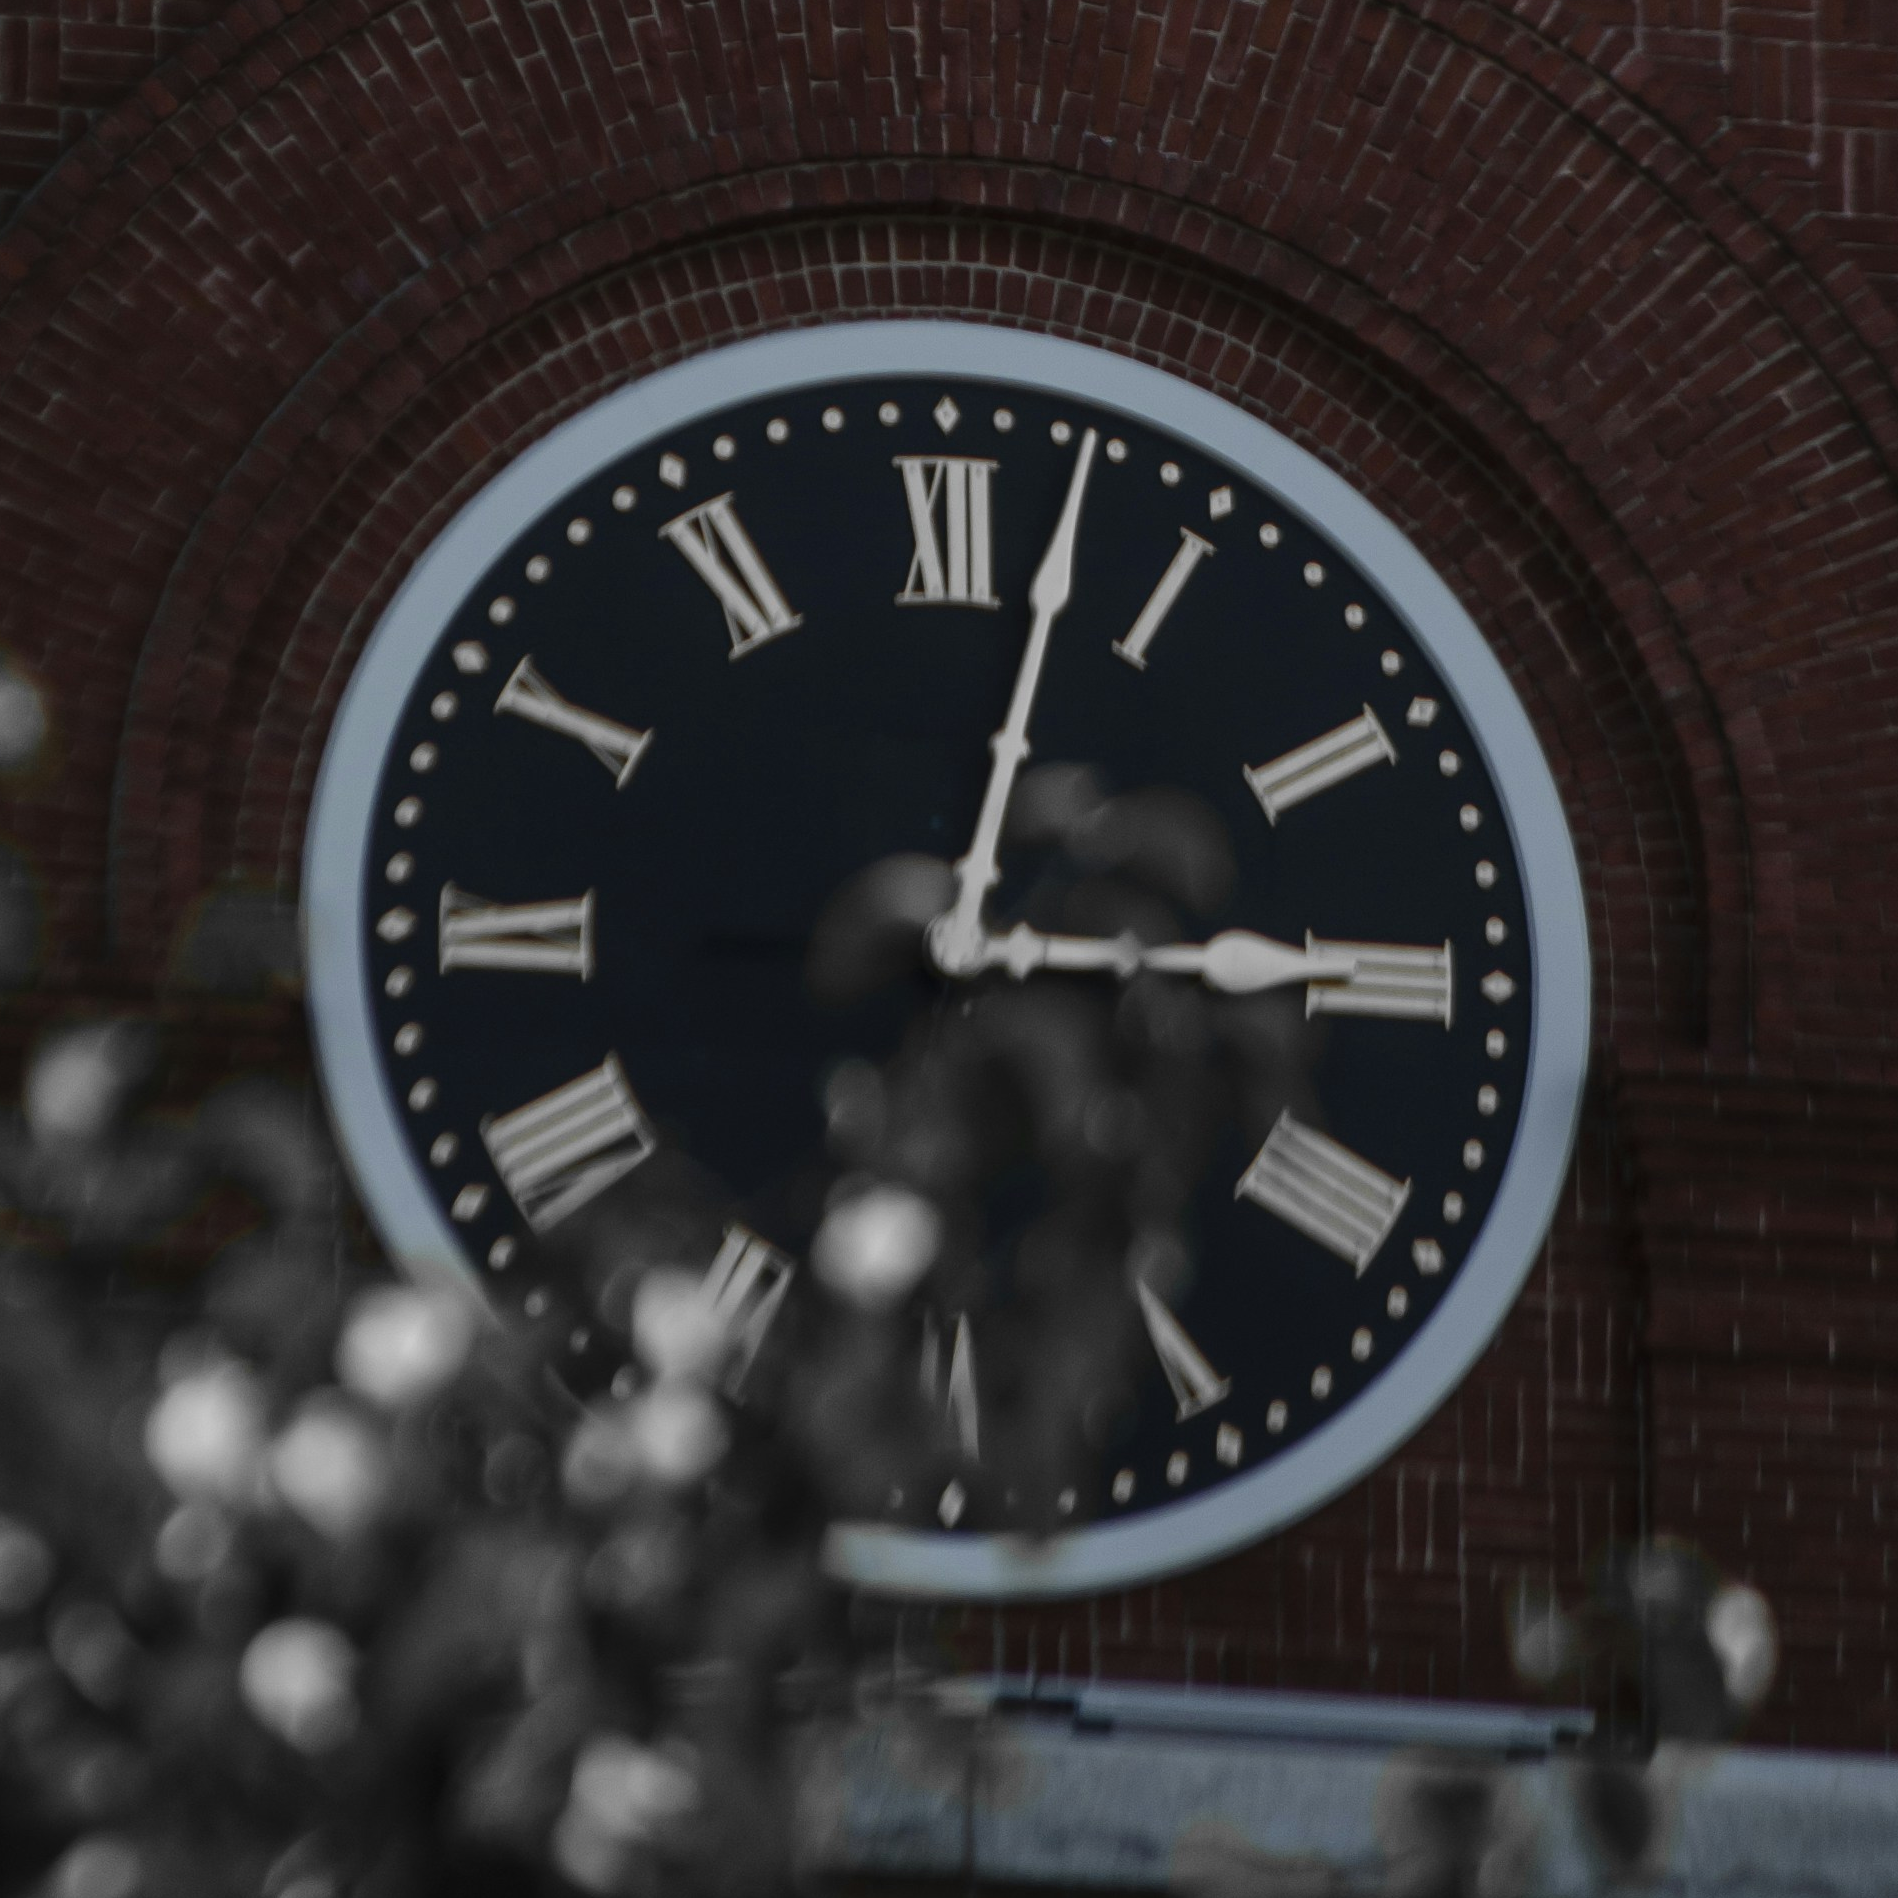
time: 3:02
